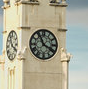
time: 3:55
